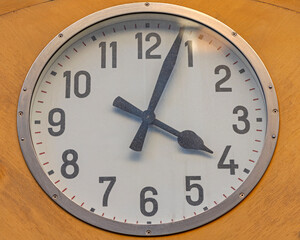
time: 4:03
